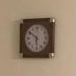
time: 5:51
